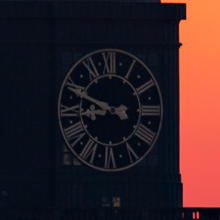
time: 8:48
